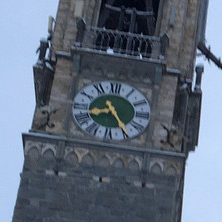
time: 8:24
